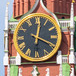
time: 12:19
